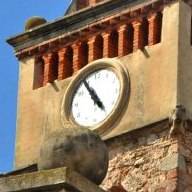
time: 4:54
